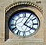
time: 4:05
